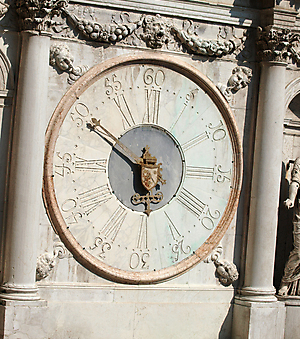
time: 5:49
